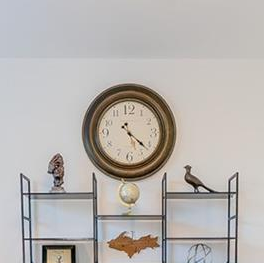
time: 4:21
